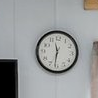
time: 11:31
